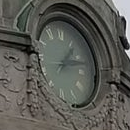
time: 1:12
